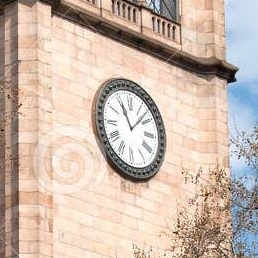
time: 11:07
